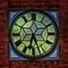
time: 6:26
